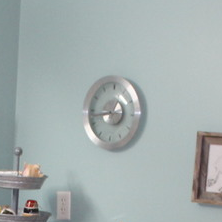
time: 12:43
